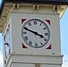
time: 3:48
